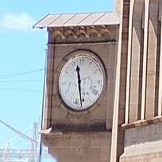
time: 11:28
